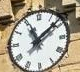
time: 11:08
